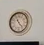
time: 11:23
